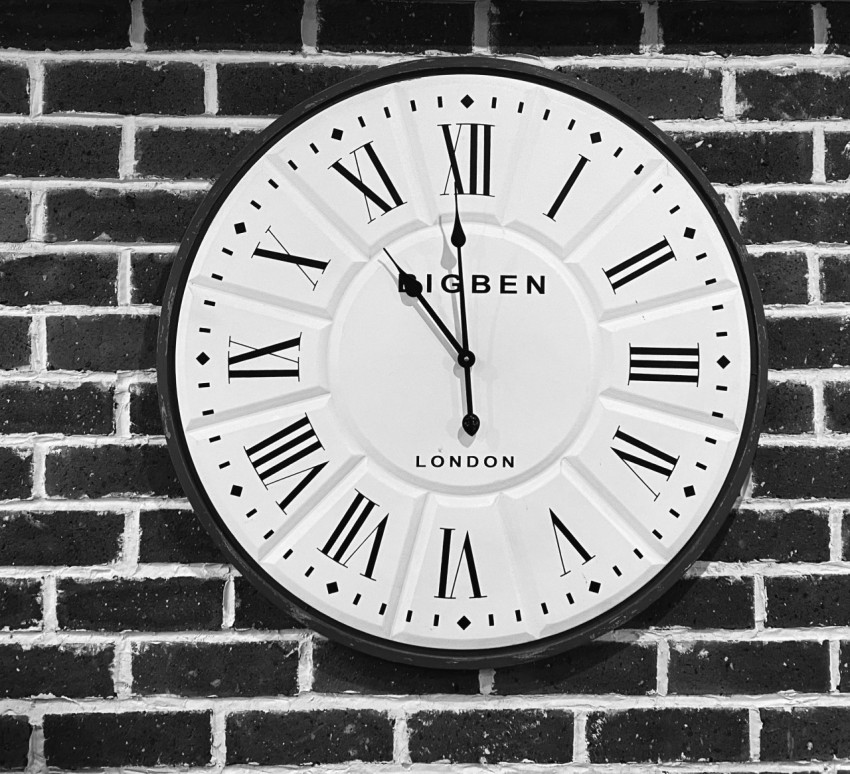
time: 10:59
